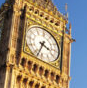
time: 3:33
